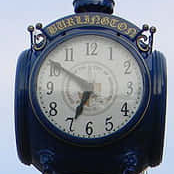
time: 6:50
